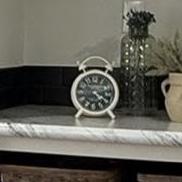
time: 4:12
